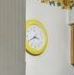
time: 3:40
